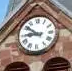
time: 8:51
